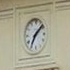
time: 7:08
